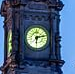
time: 6:13
